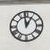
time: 12:58
